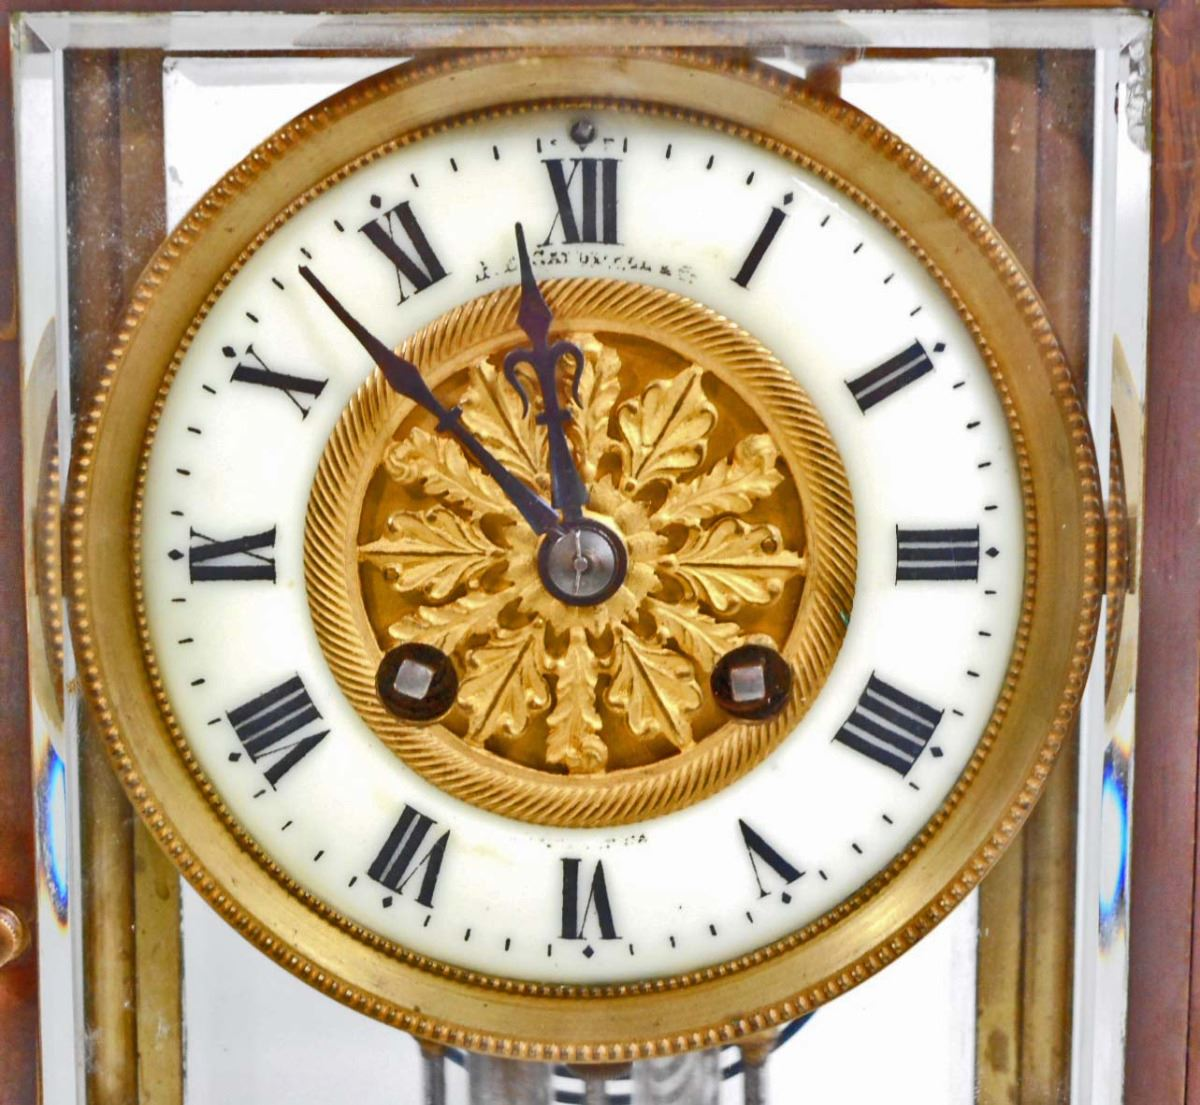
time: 11:52
